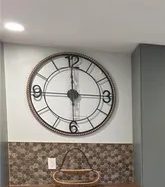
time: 11:59
